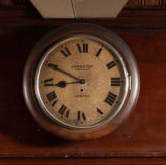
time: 8:49
